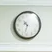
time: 10:32
